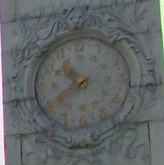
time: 10:40
